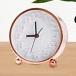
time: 9:00
